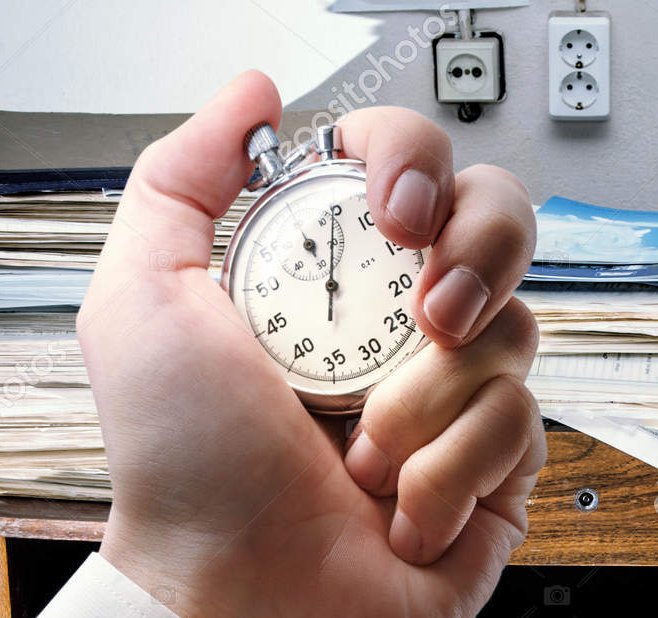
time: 11:00
